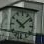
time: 10:07
